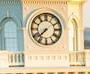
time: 7:37
